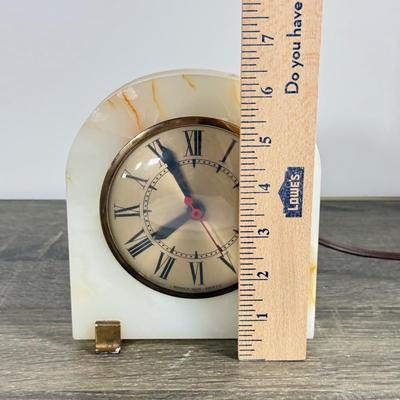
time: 7:55
